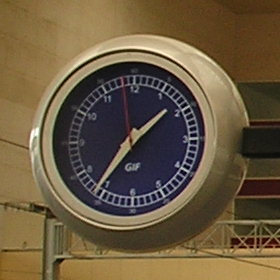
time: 1:35
